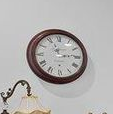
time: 2:56
